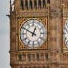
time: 12:49
